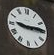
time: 9:14
